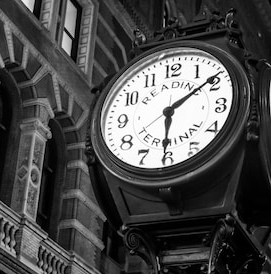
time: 6:08
